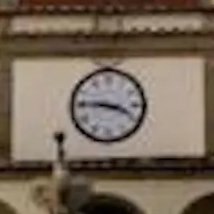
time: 3:45
